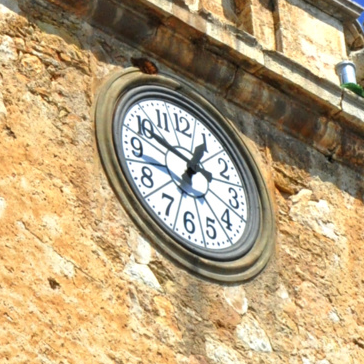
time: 12:48
